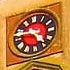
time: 4:45
